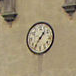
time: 1:36
